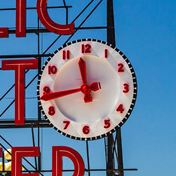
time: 11:43
